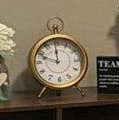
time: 11:48
